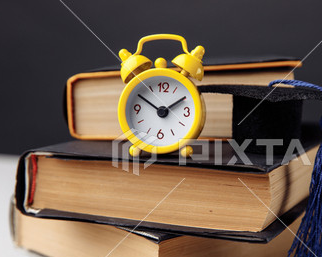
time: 1:50
